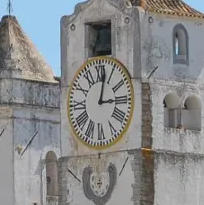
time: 3:02
